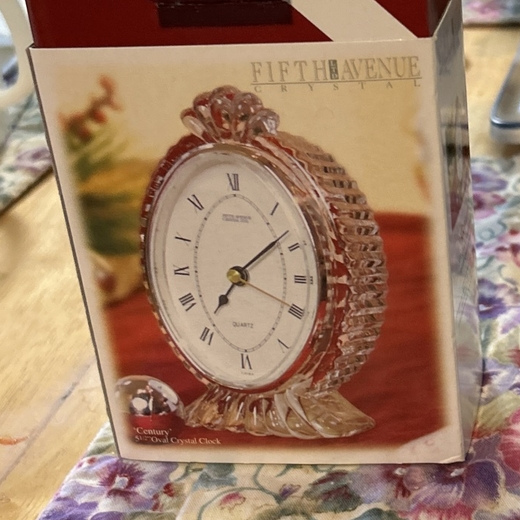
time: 7:08
